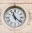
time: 11:21
